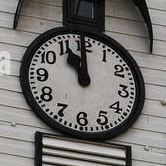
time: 10:59
